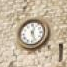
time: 12:26
